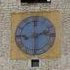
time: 8:12
